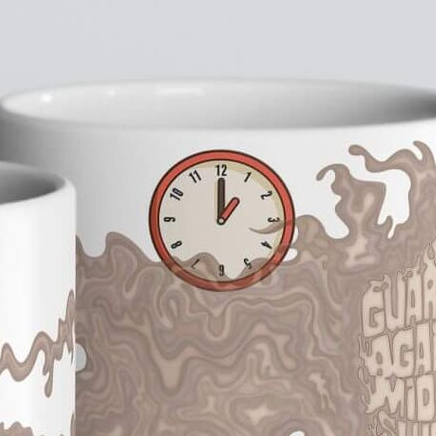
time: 1:00
